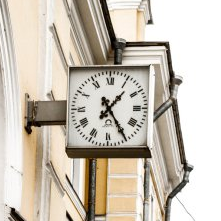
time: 1:24
